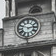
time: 2:48
